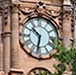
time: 10:32
